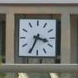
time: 3:34
